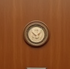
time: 10:07
